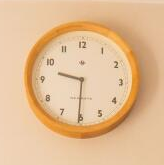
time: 9:30
